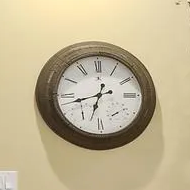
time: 6:42
